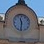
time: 11:31
